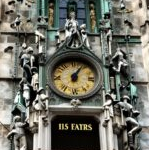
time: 12:04
